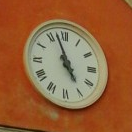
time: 4:57
